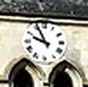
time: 9:56
